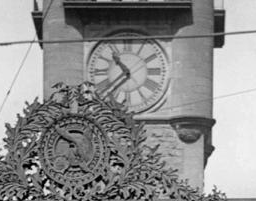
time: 10:38
